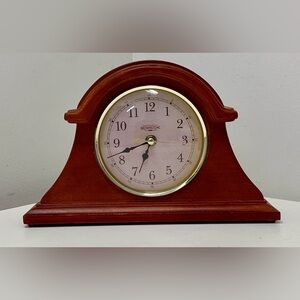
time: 6:41
